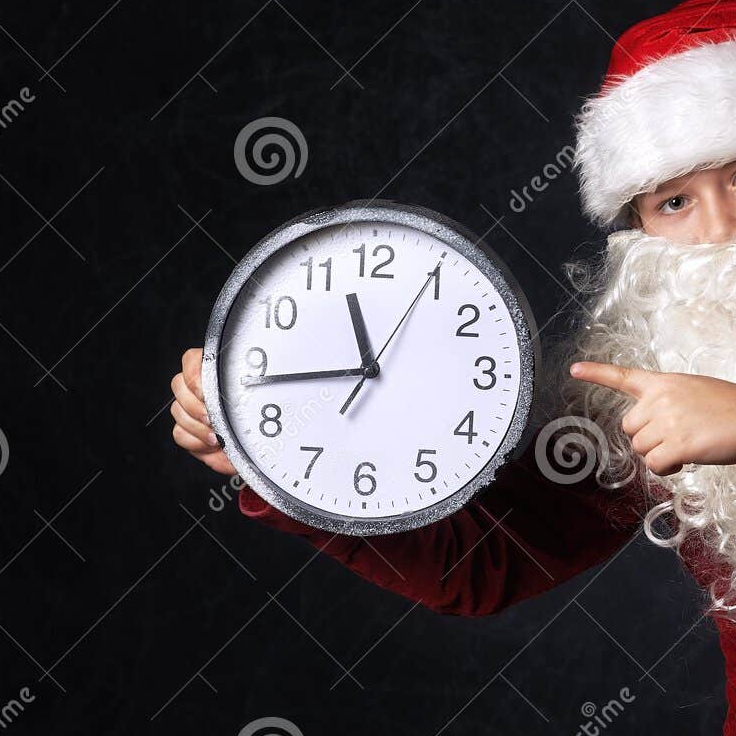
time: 11:43
